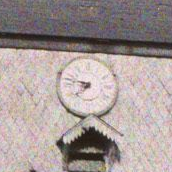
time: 7:47
